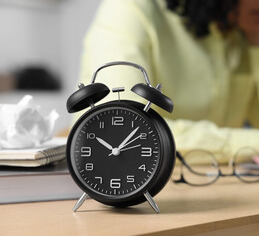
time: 10:07
